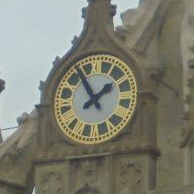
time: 1:54
